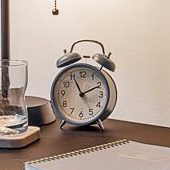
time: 11:10
